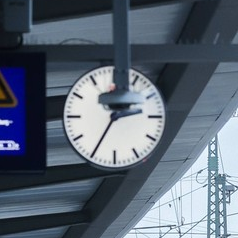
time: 2:35
